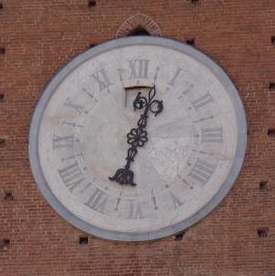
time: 12:32
